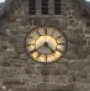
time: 4:39
